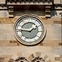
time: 1:46
